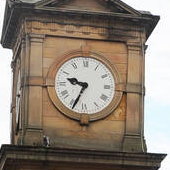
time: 9:34
